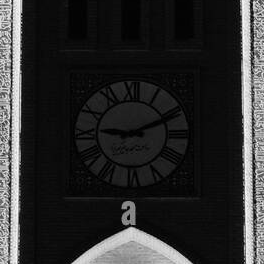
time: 9:10
